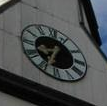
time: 8:34
